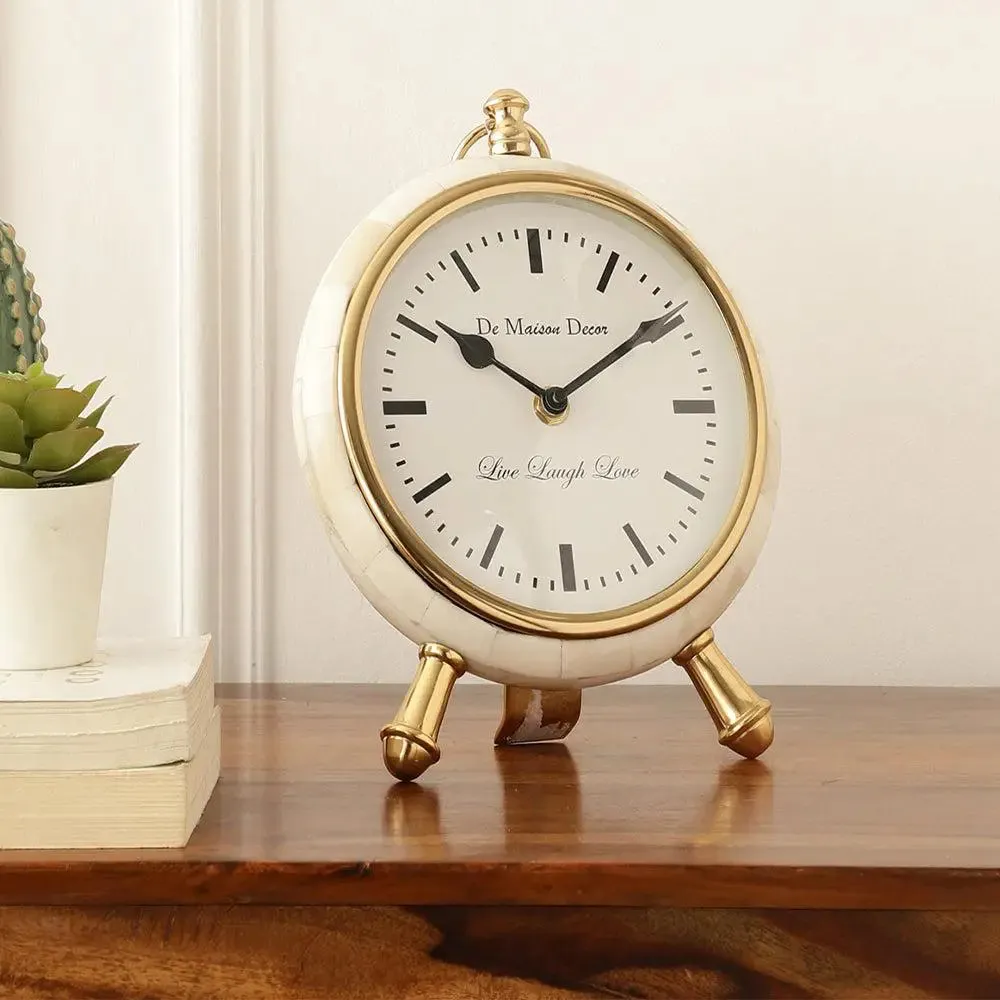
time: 10:09
